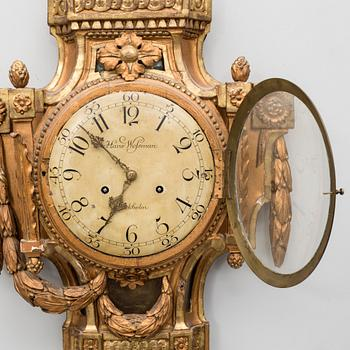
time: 6:52
